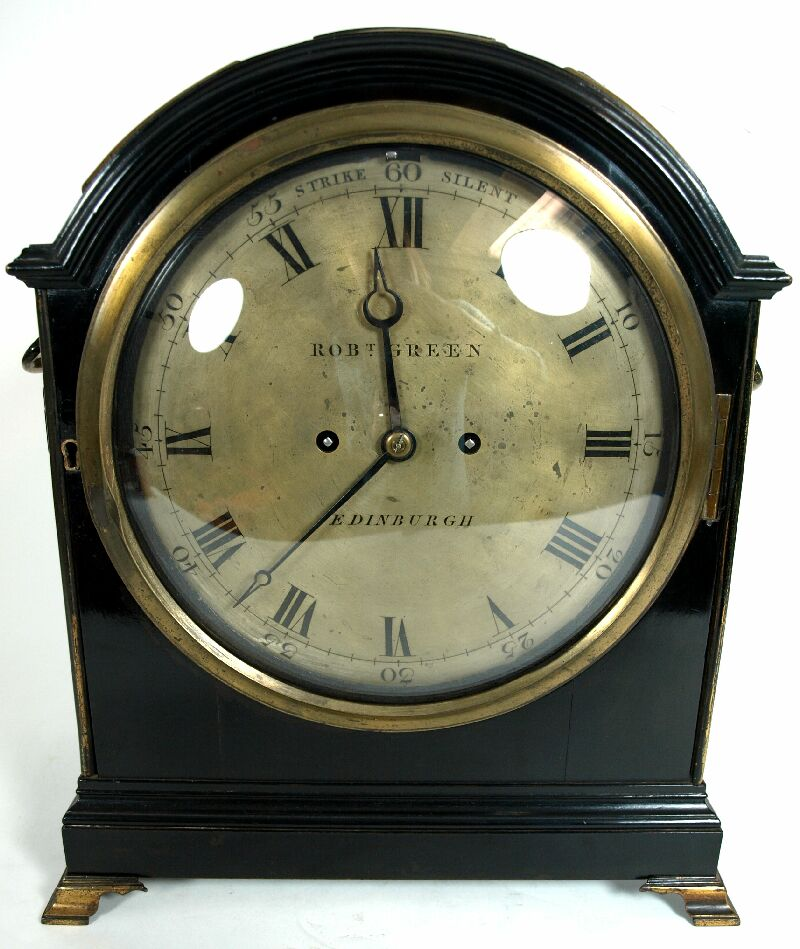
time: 11:37
